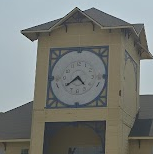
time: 4:38
